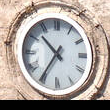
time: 10:35
